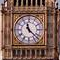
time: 11:22
